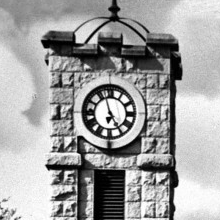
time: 4:57
